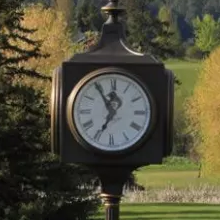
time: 6:54
